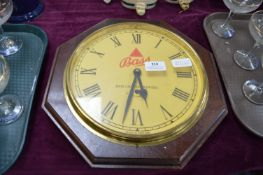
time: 5:32
